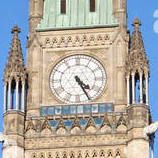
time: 4:25
